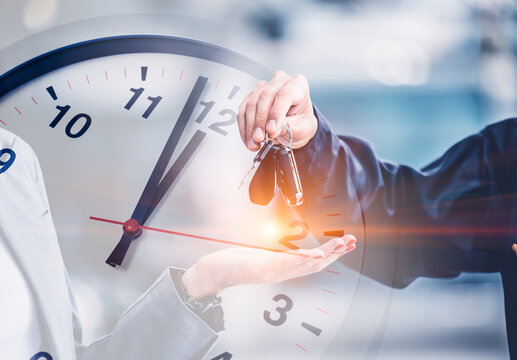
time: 1:03
